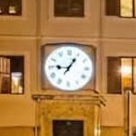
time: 9:05
